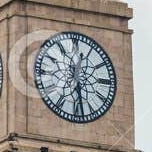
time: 12:28
